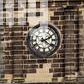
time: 2:21
